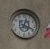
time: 12:18
